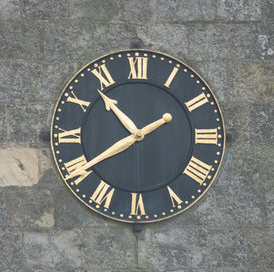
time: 10:39
